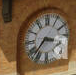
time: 3:37
